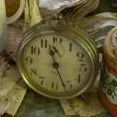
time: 11:26
